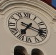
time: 7:17
